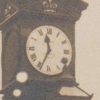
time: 11:34
